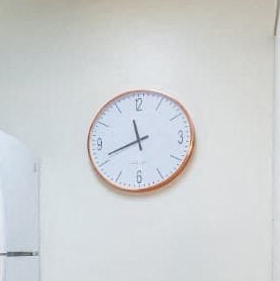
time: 11:41
